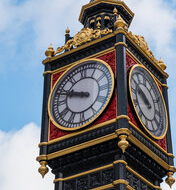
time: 9:48
